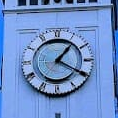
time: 1:20
